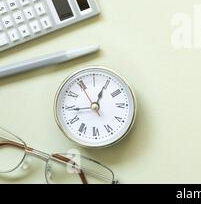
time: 12:44
